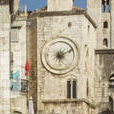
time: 6:10
